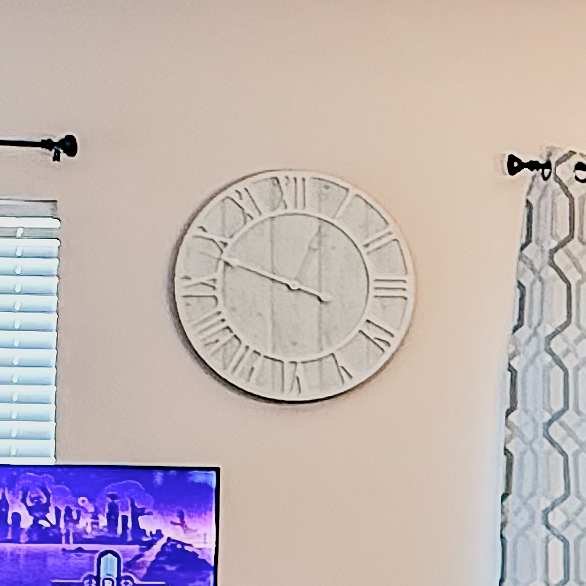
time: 12:48
